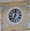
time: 7:00
